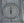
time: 5:59
